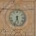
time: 5:33
